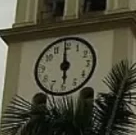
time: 5:59
